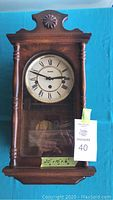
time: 2:48
